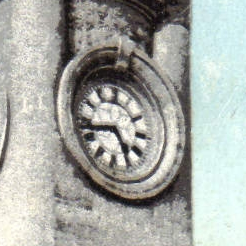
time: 4:42
